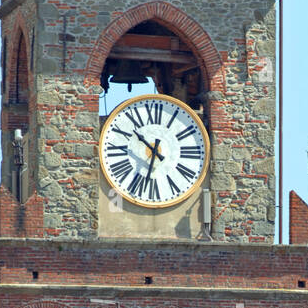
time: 10:32
